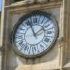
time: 1:56
